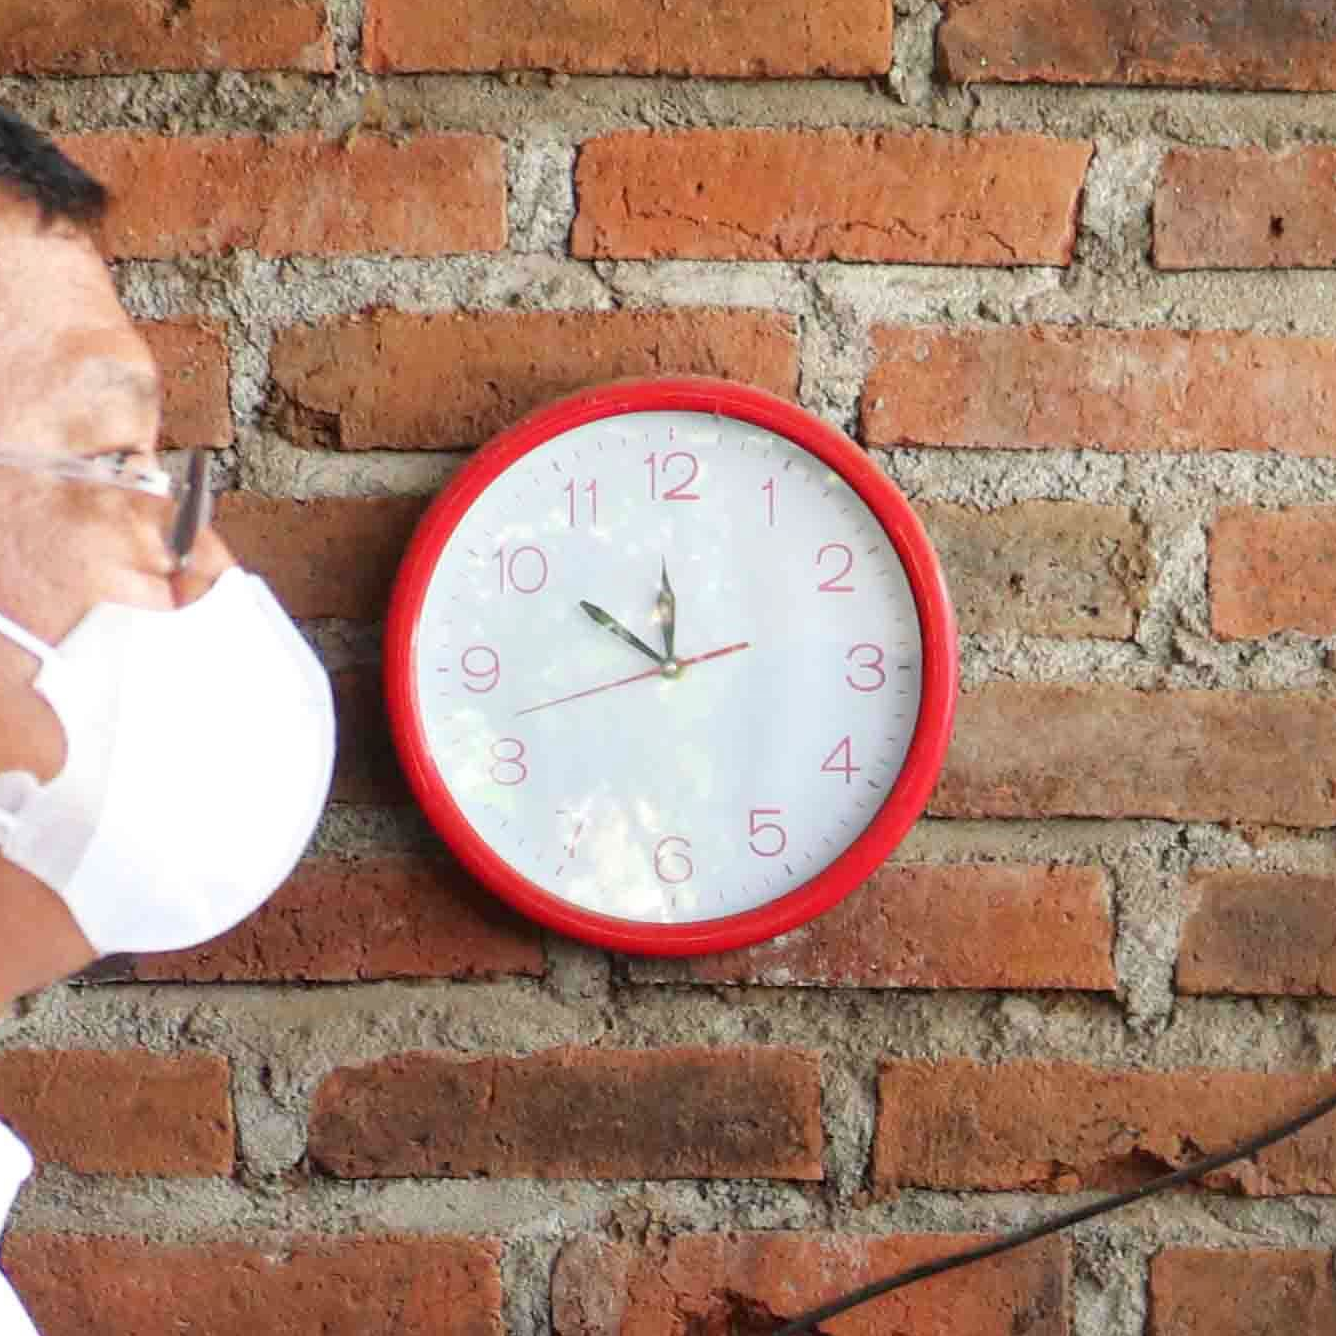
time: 11:50
